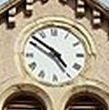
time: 4:51
